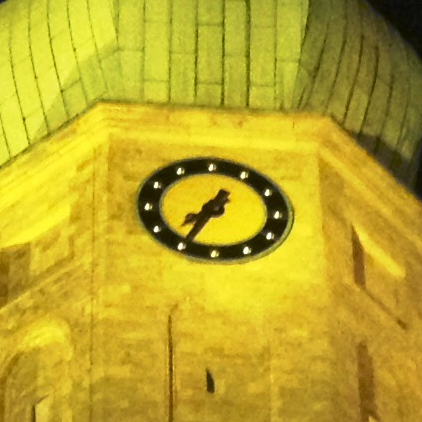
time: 7:34
